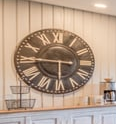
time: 5:45
